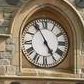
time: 4:55
